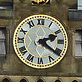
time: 2:21
